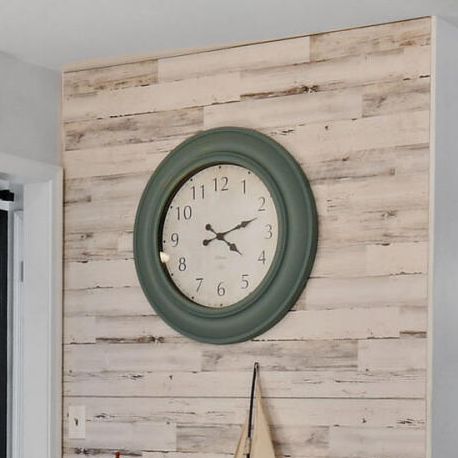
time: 4:11
